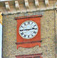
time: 2:45
